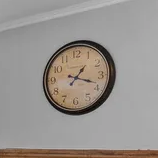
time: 1:18
